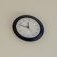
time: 11:47
